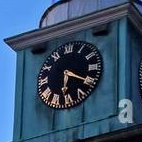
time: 6:20
